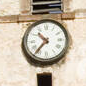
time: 10:36
